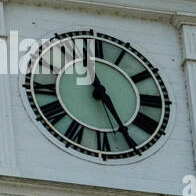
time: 11:25
